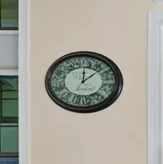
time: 12:07
